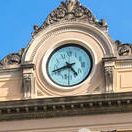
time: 4:42
